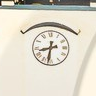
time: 8:31
